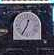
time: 12:34
